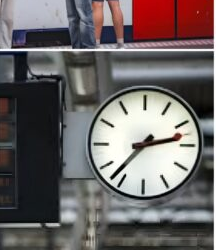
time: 2:36
